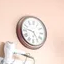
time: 4:46
